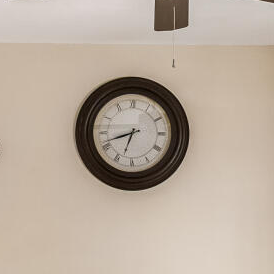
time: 6:41
